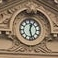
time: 12:27
